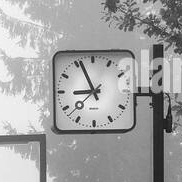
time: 8:56
